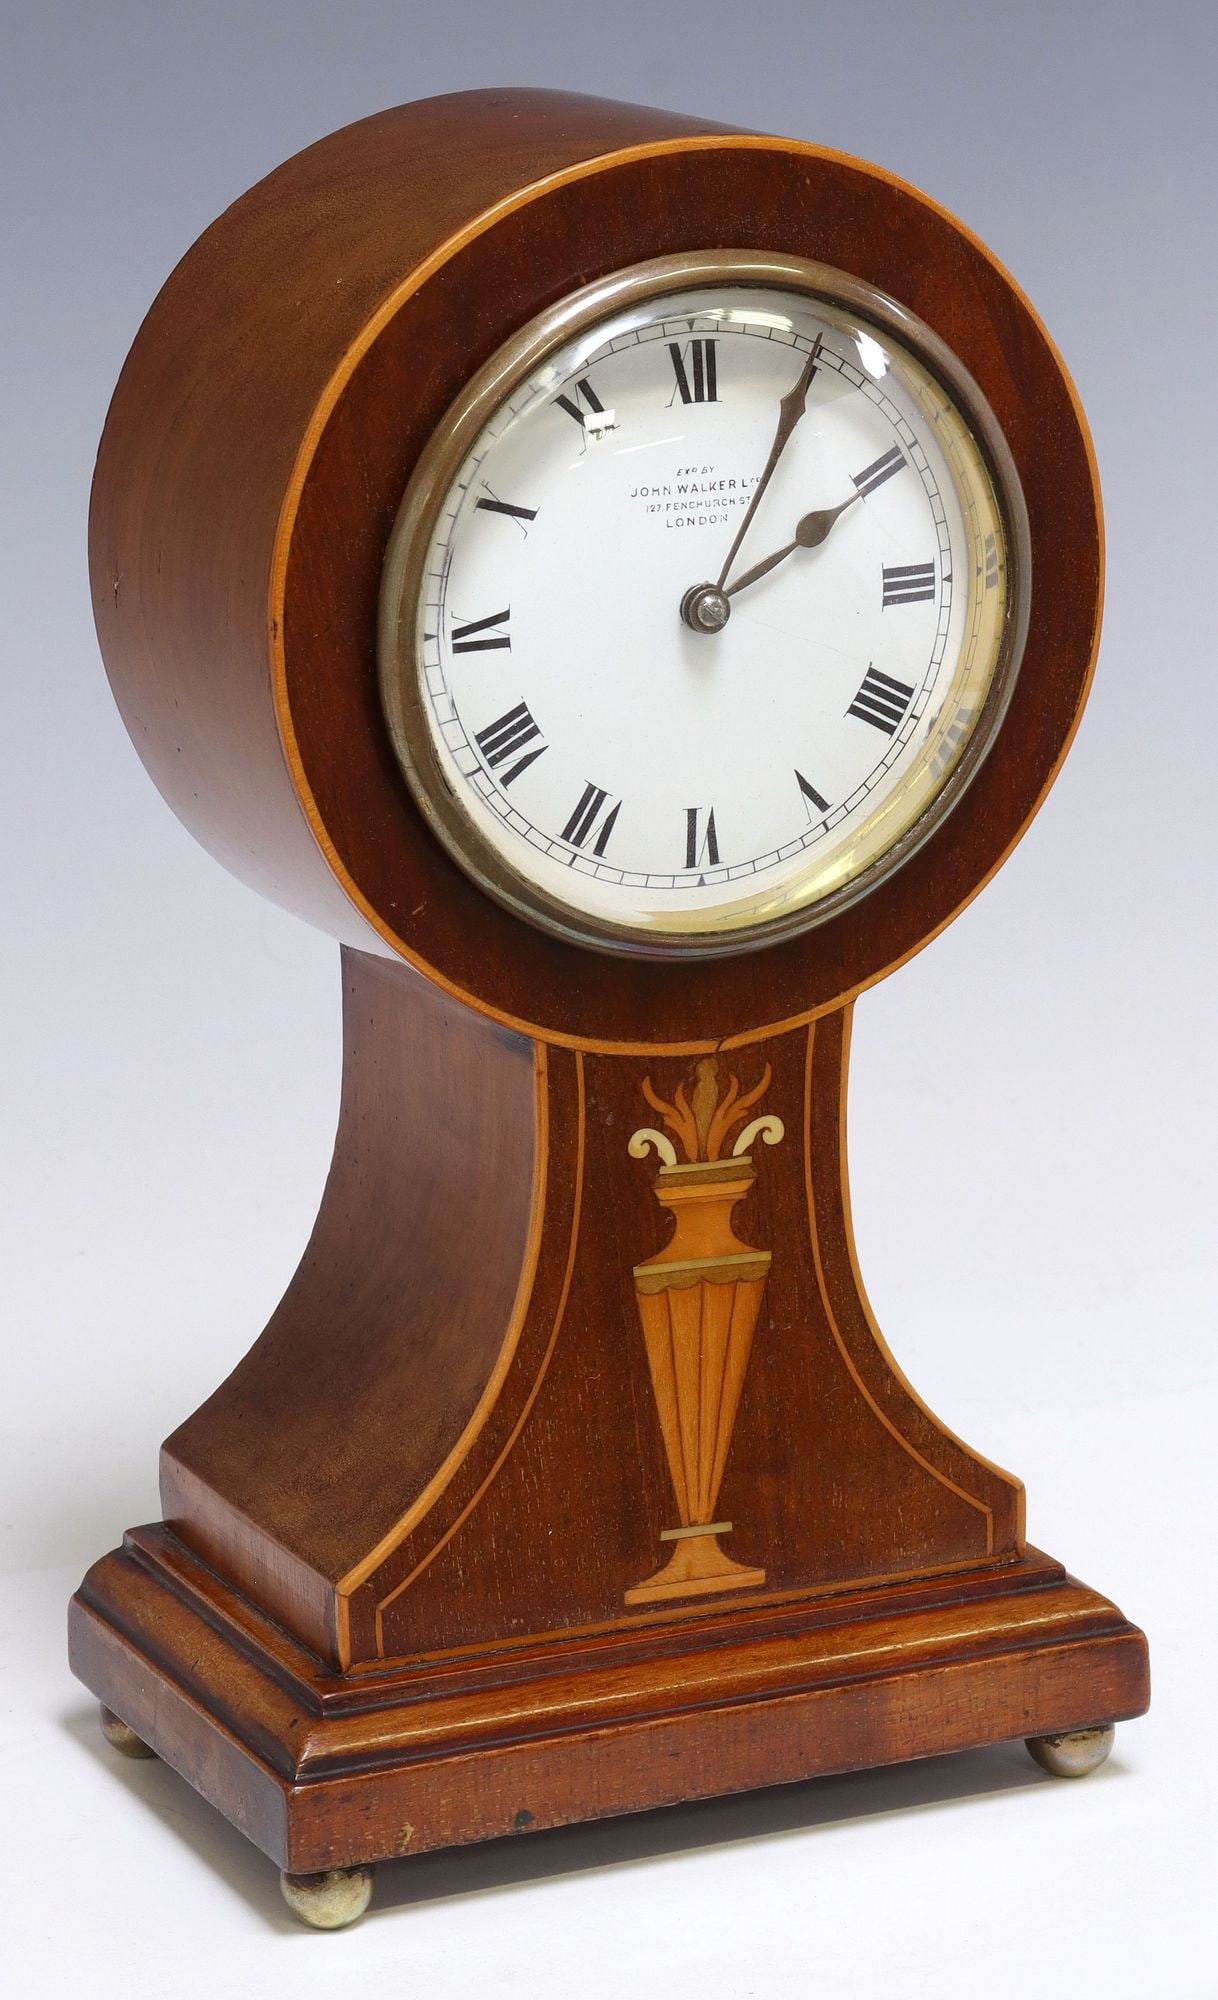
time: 2:04
